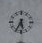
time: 5:34
